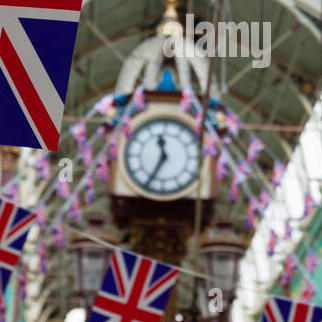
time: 11:34
